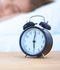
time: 6:01
